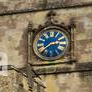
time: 2:38
